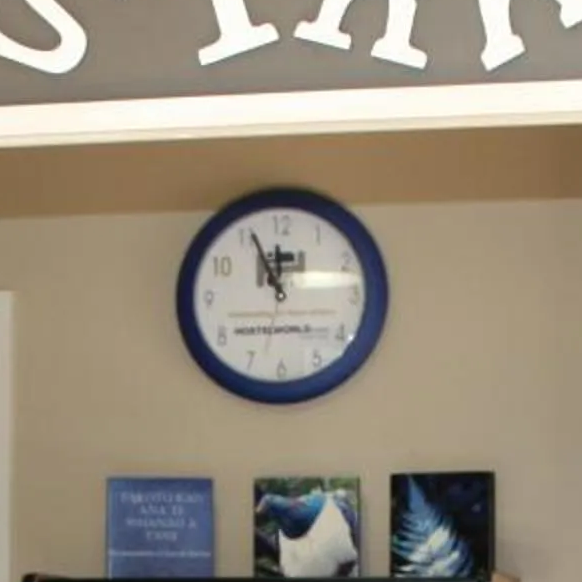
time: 11:56
